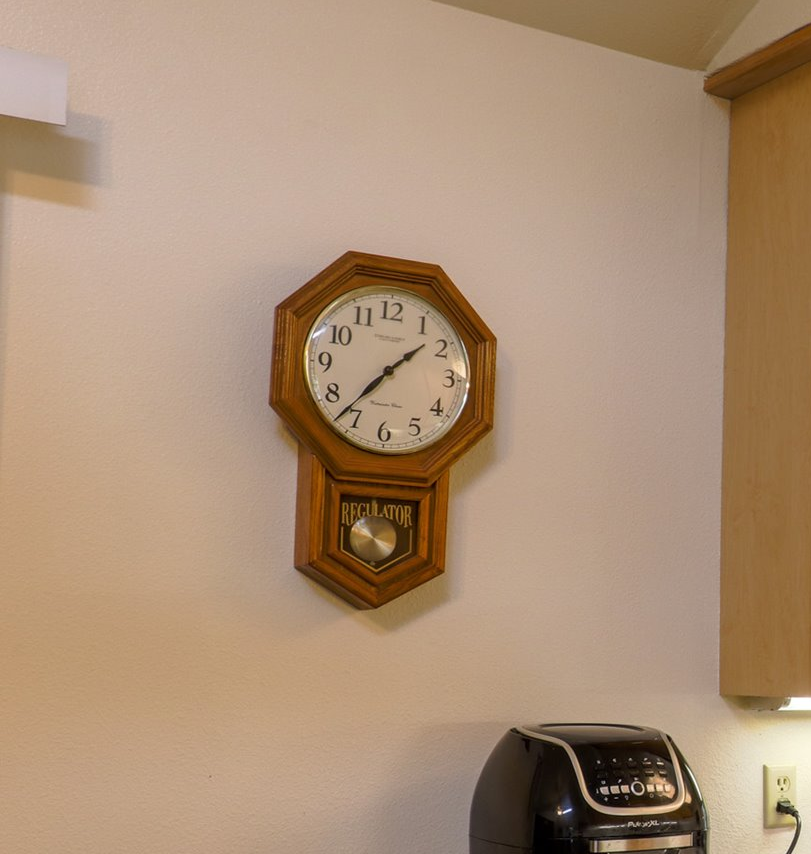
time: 1:36
